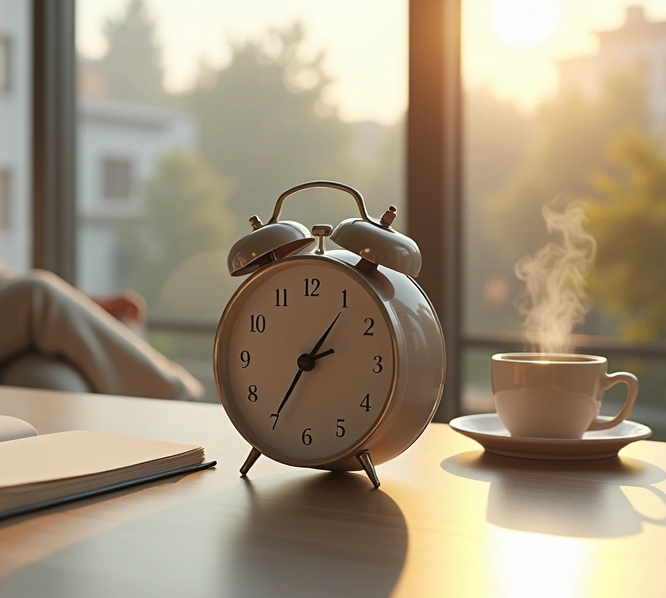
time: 2:35
